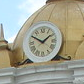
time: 1:50
